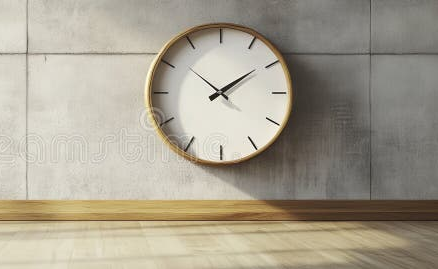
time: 1:51
